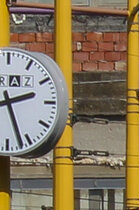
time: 2:26
